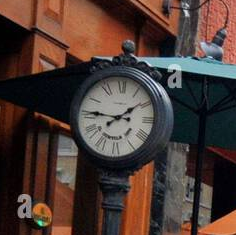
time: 1:46
